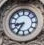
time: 8:35
